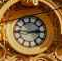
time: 2:45
